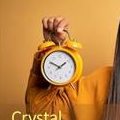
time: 1:50
